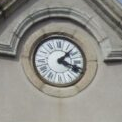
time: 1:18
